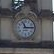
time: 11:14
